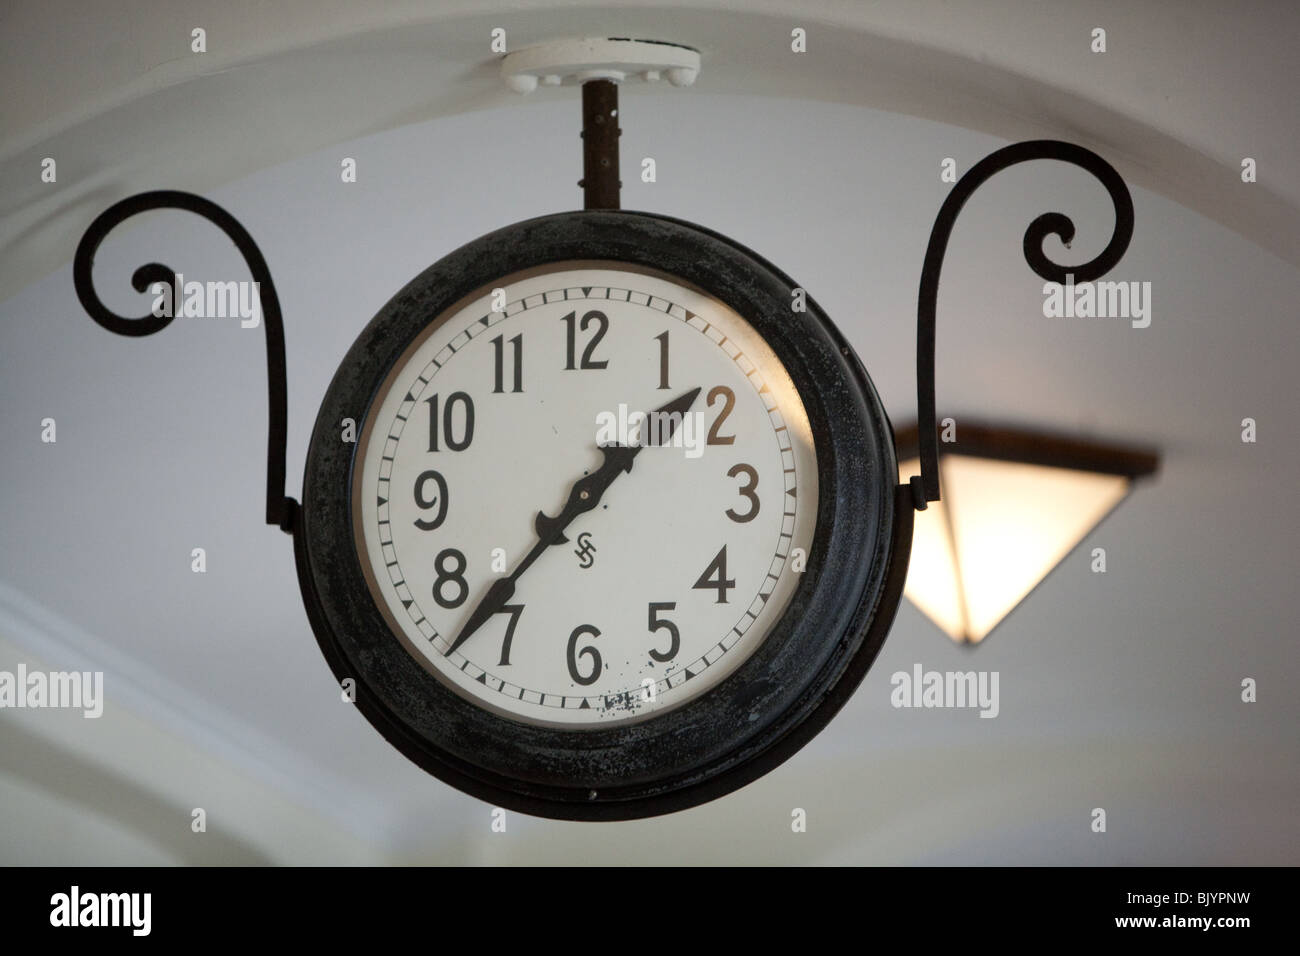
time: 1:37
